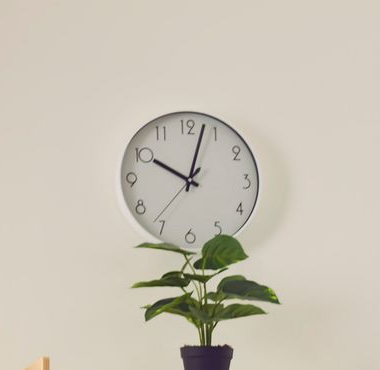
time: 10:02
